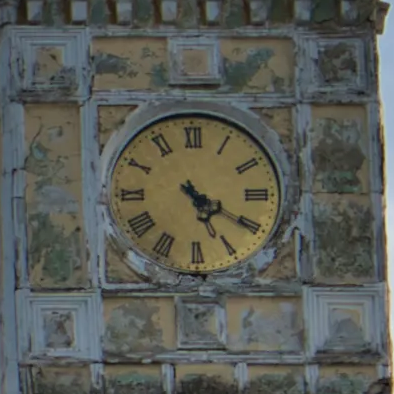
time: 5:20
